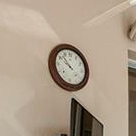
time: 9:52
